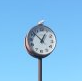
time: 12:52
